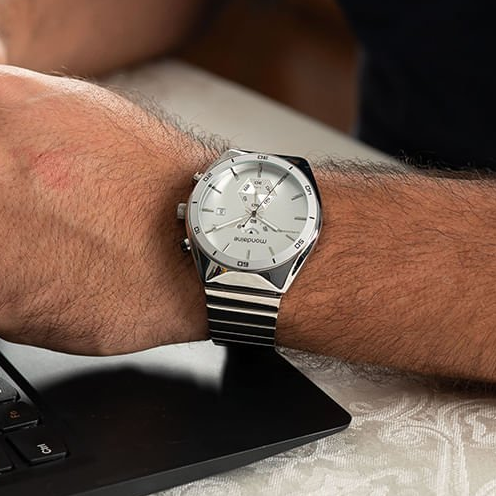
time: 12:05
